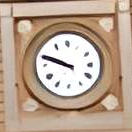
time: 9:48
